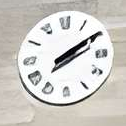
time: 2:09
